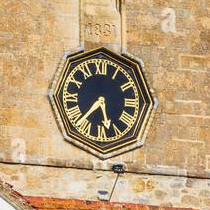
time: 5:37
